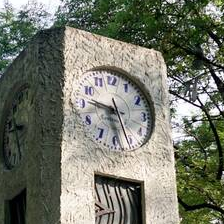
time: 9:27
